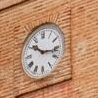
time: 10:16
